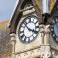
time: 3:52
